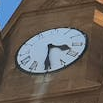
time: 3:30
